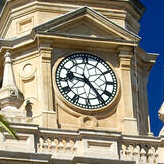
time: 9:23
